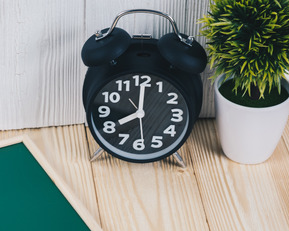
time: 8:00
